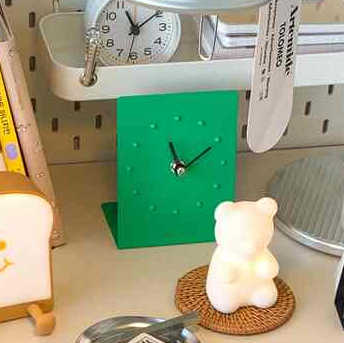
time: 11:10
